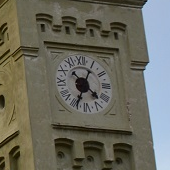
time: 4:34
